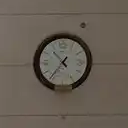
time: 10:36
